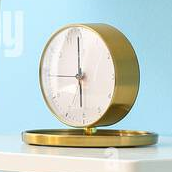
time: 5:59
